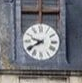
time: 9:40
